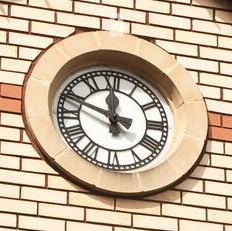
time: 11:48
